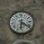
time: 6:21
